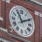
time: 11:10
